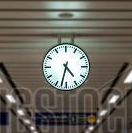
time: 4:32
